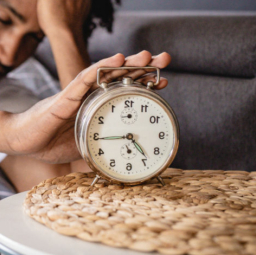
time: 4:44
